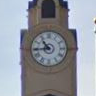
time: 10:44
